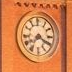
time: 7:19
